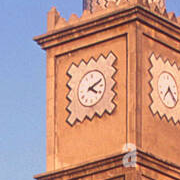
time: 4:10
